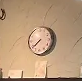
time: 7:39
